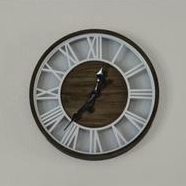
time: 12:37
